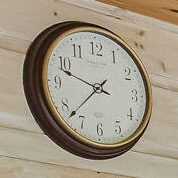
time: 9:37
